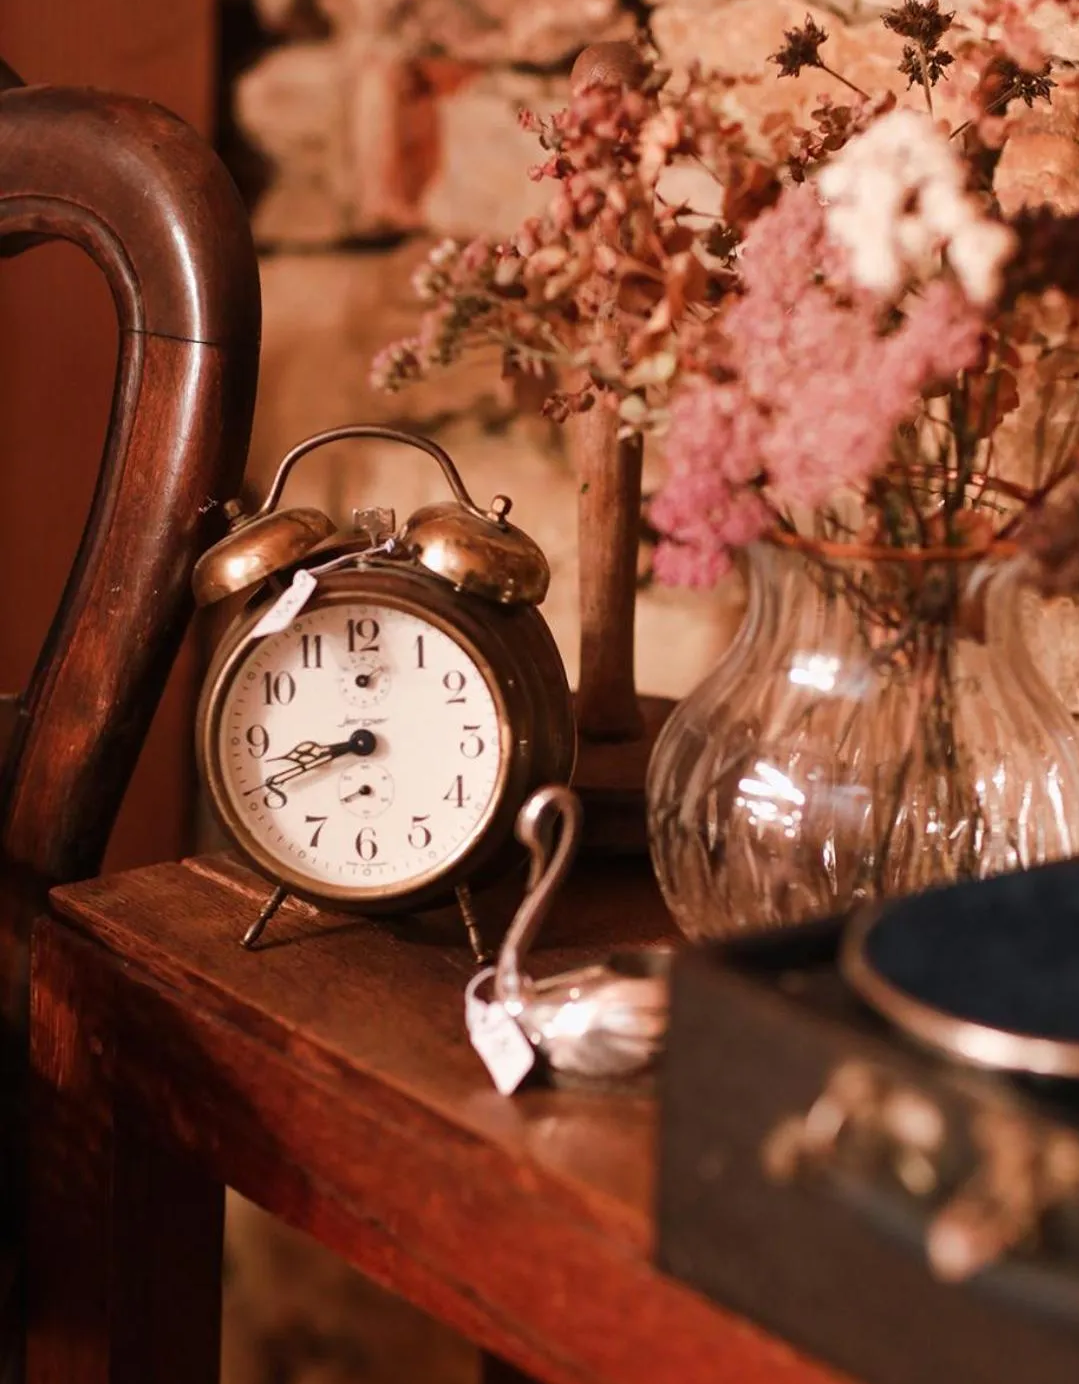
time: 8:41
